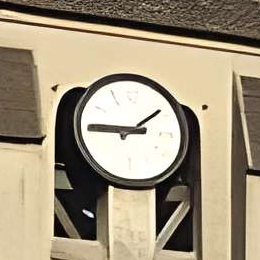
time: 1:45
